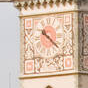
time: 4:21
